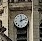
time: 12:11
